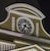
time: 3:34
